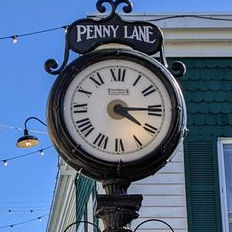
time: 4:14
